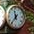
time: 11:36
